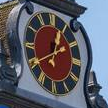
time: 12:40
